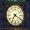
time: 7:20
